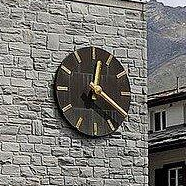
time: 12:20
